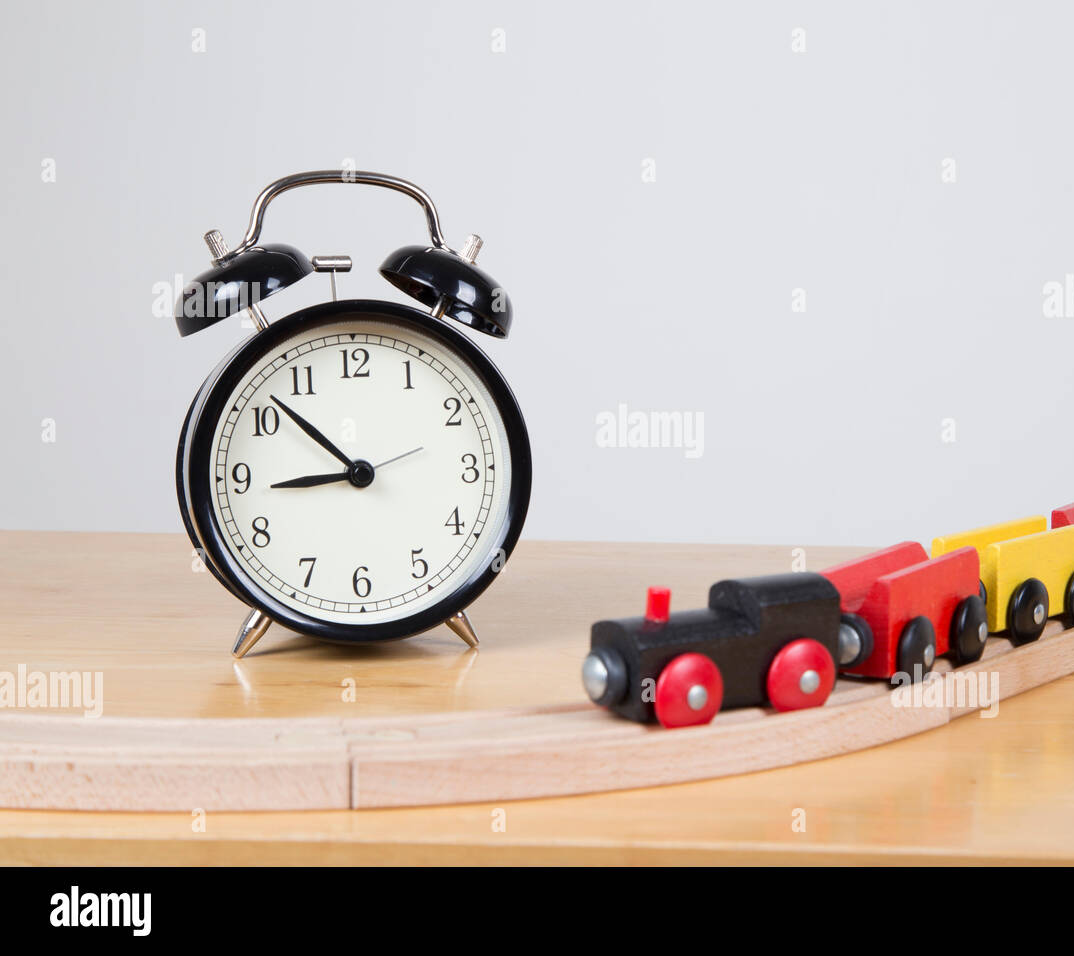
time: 8:52
